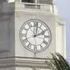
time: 2:01
